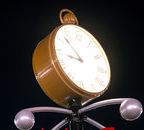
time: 8:52
